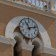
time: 11:12
